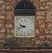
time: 9:42
